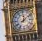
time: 12:08
